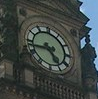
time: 4:43
